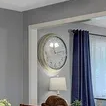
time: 11:13
